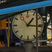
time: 1:16
